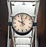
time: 9:57
